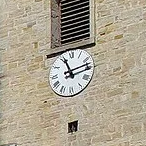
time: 11:12
